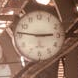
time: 2:46
